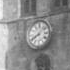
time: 8:07
